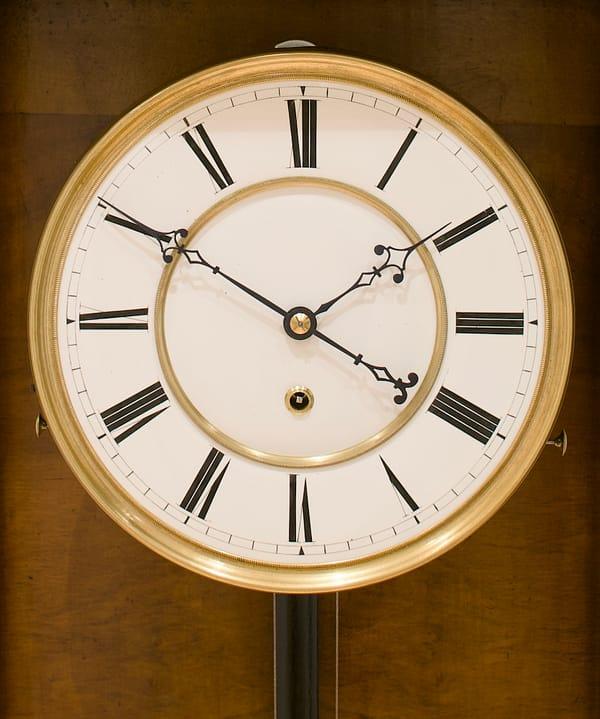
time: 1:50
